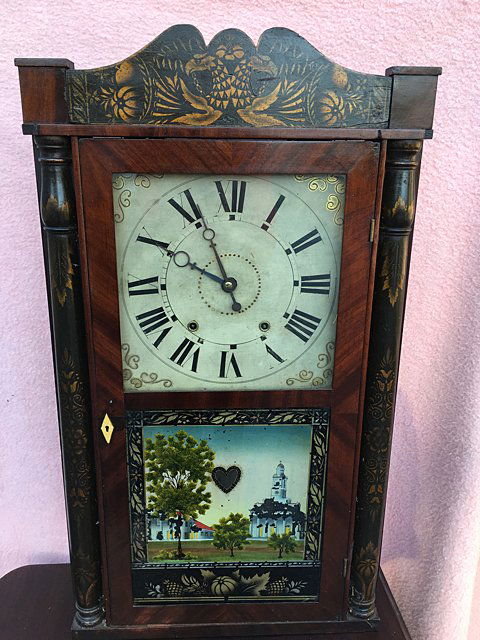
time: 9:56
